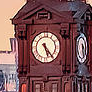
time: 5:23
